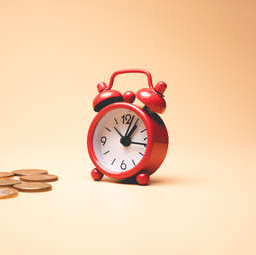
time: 1:16
